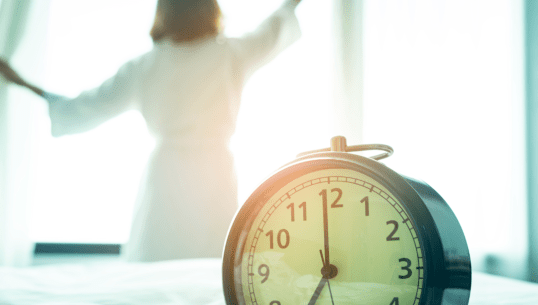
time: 6:59
